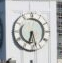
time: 6:27
